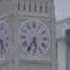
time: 5:35
